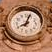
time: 8:03
